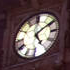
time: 5:09
